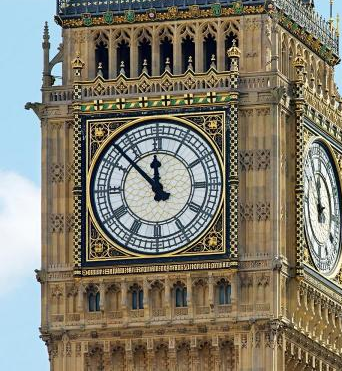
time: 11:52
